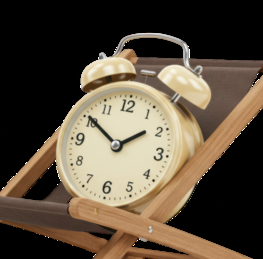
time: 1:50
